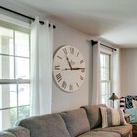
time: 11:13
